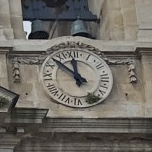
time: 11:52
